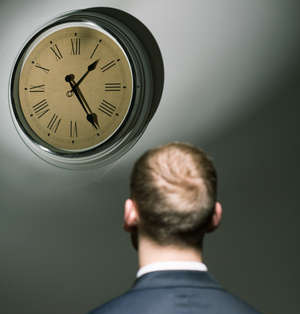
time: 1:24
